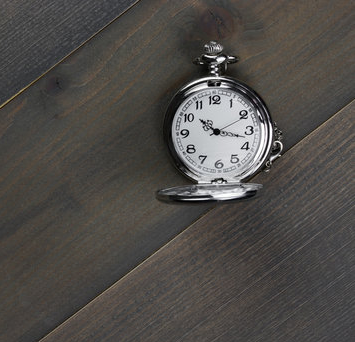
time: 10:17
